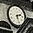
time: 2:27
